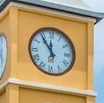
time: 11:54
